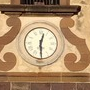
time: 12:29
